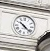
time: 10:22
